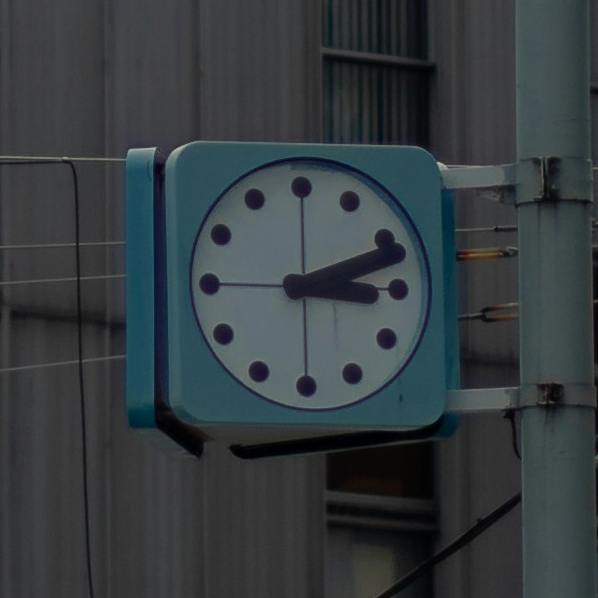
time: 3:11
